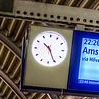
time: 10:25
